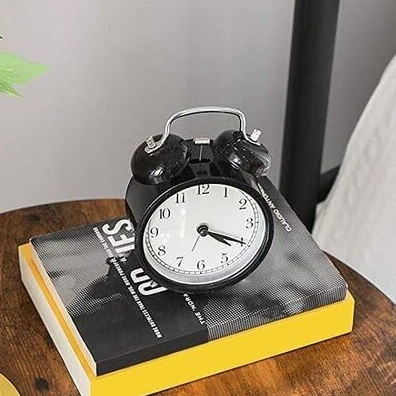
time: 4:19
